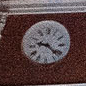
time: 9:22
